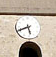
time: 5:41
